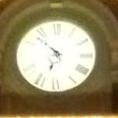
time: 6:52
